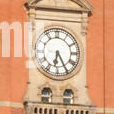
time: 6:25
